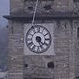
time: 4:26
